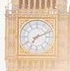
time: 7:11
